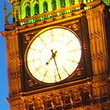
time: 7:28
